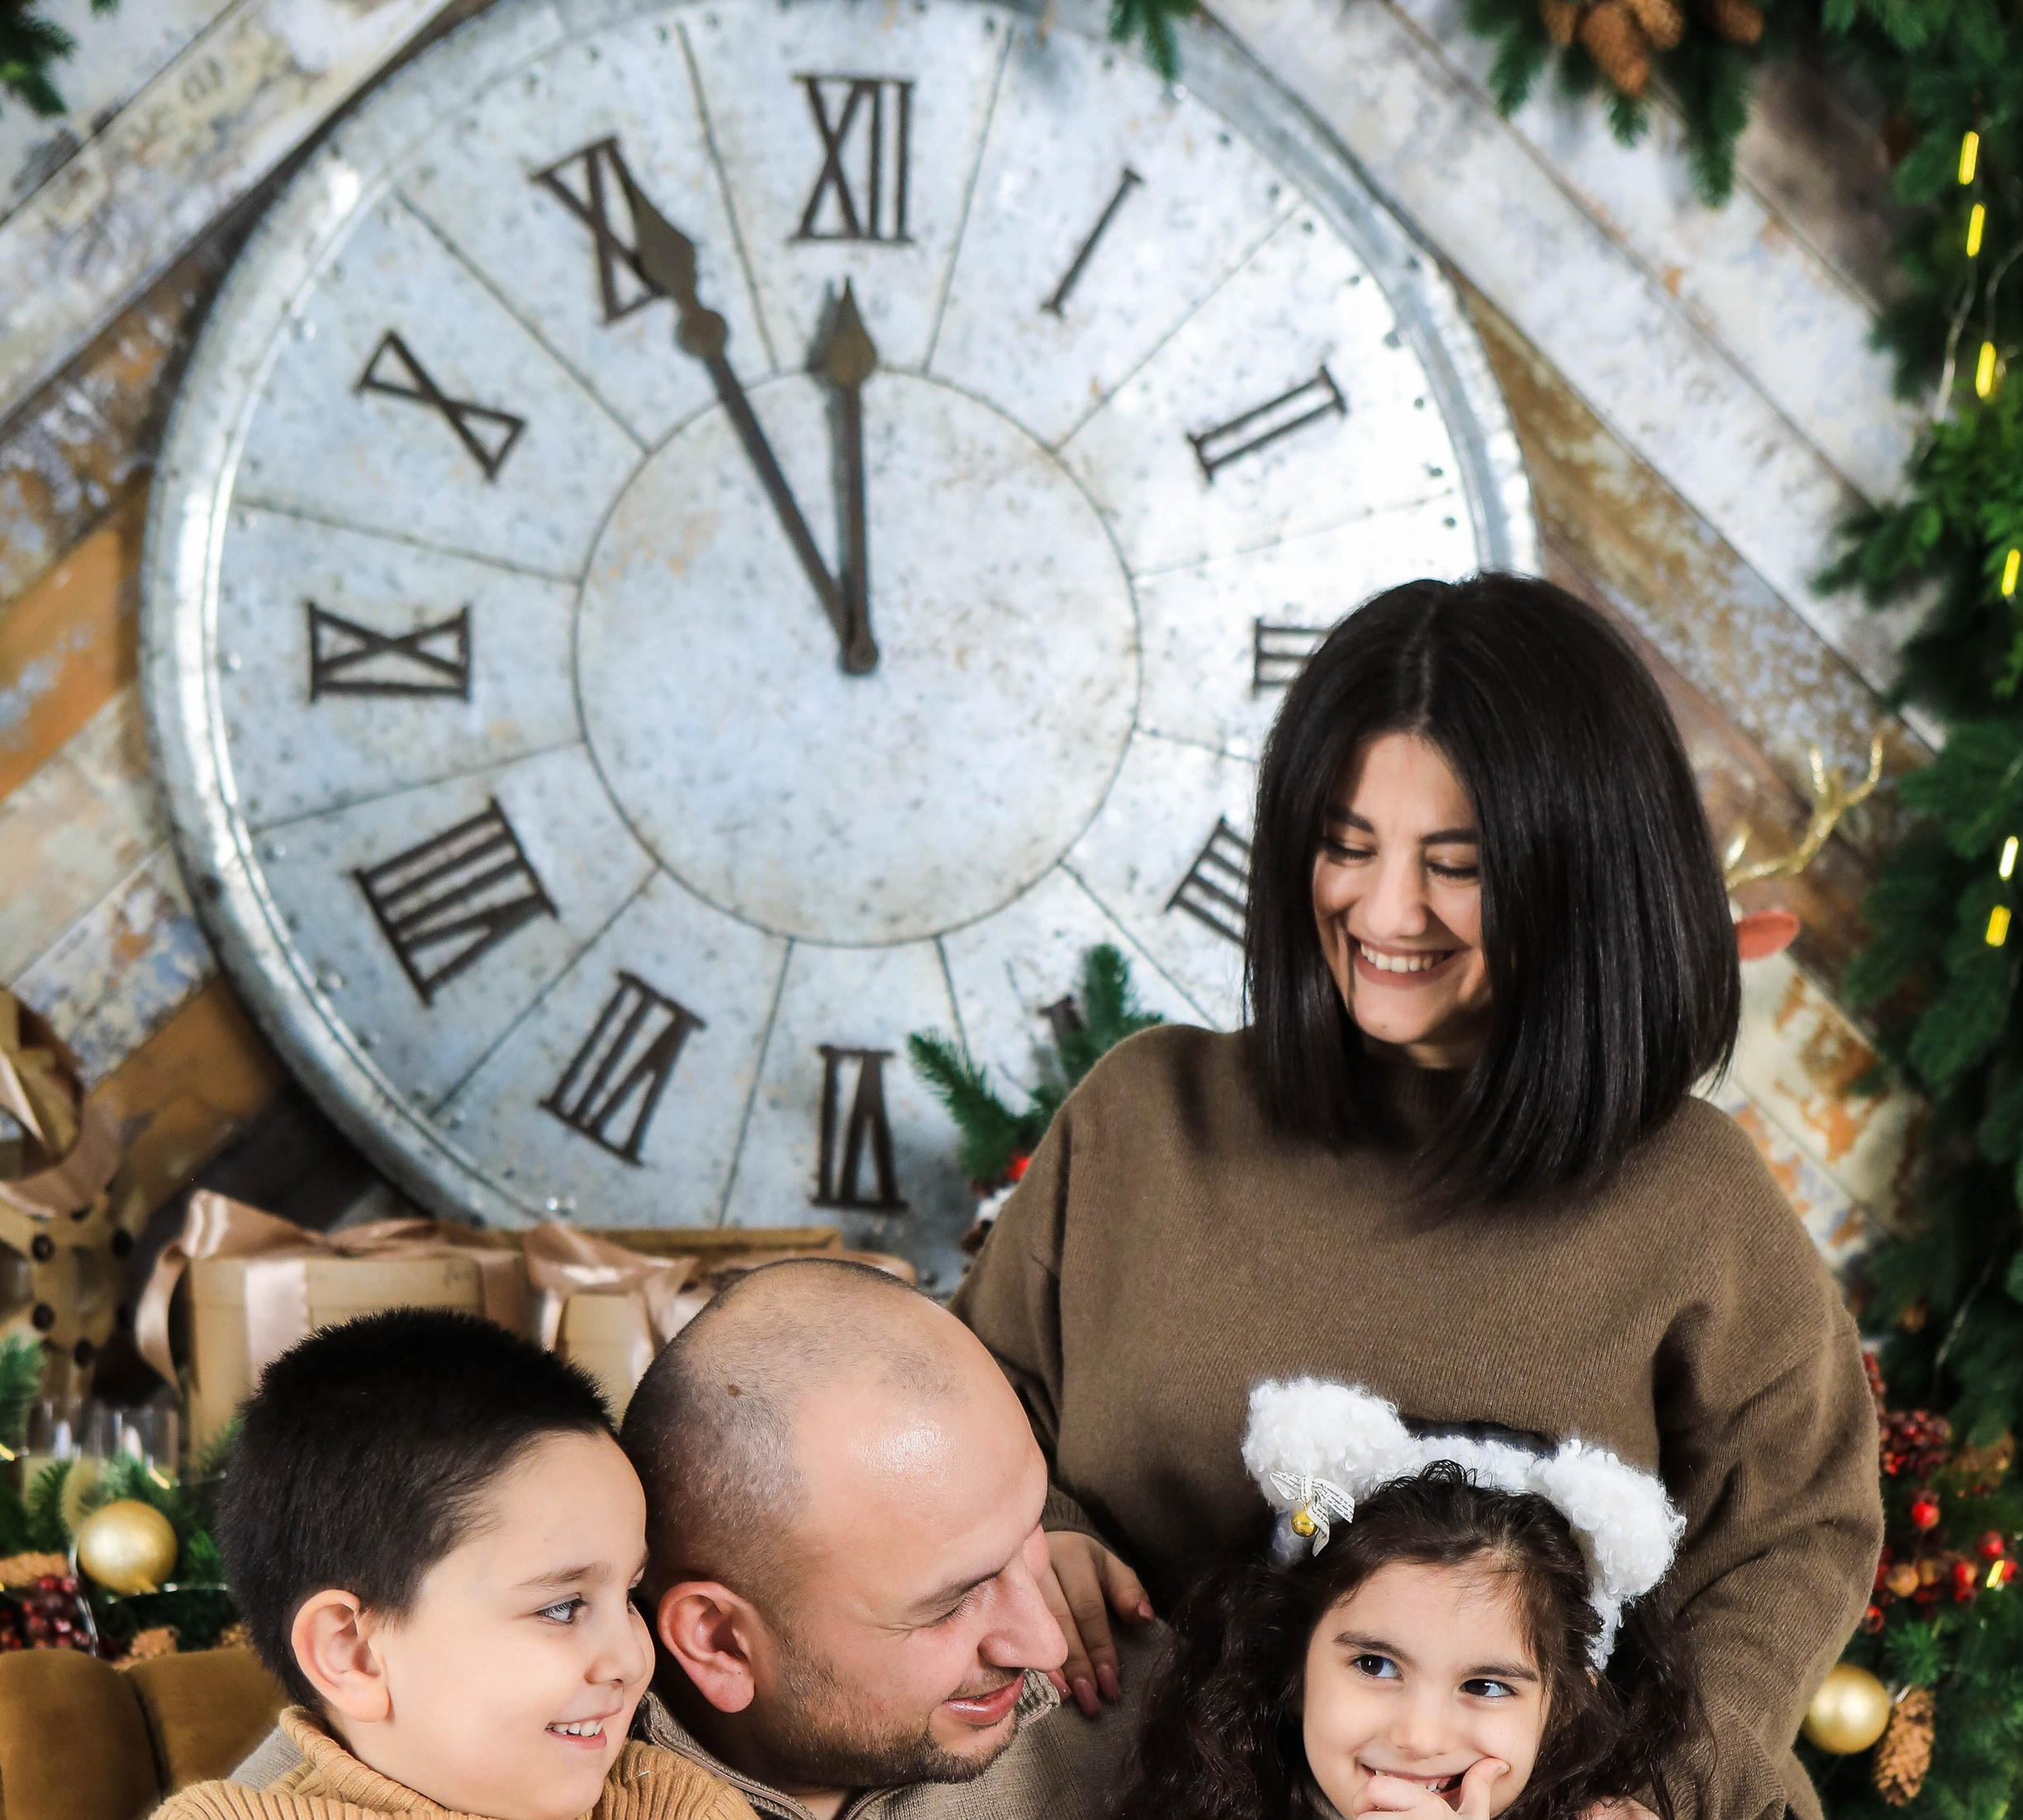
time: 11:55
